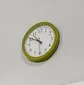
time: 10:50
